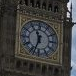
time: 11:33
